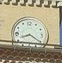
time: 8:20
